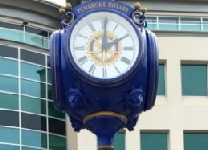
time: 2:00
